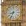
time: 8:34
